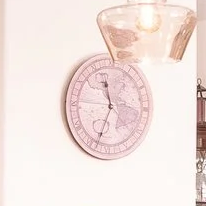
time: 11:33
